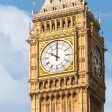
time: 10:00
